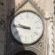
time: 9:45
